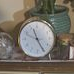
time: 11:25
